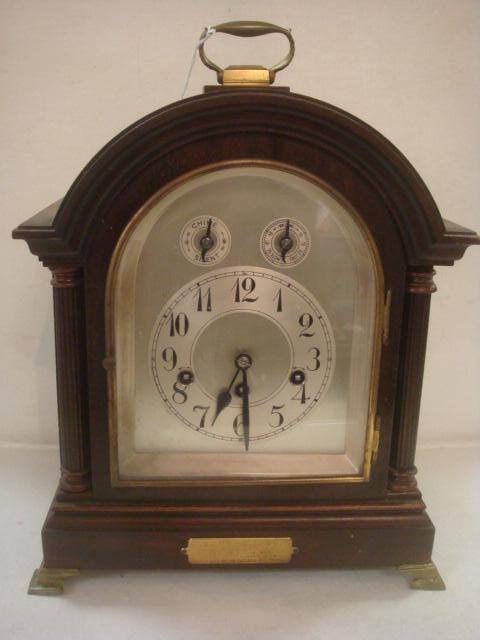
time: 6:29
